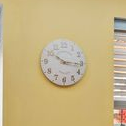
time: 10:15
